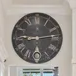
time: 9:13
